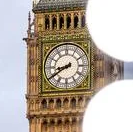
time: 8:39
